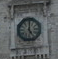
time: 5:00
